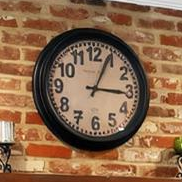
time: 3:04
